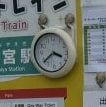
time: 3:38
